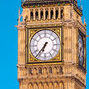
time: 6:36
